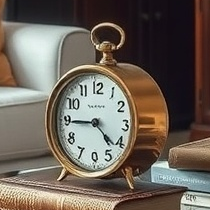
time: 4:44
